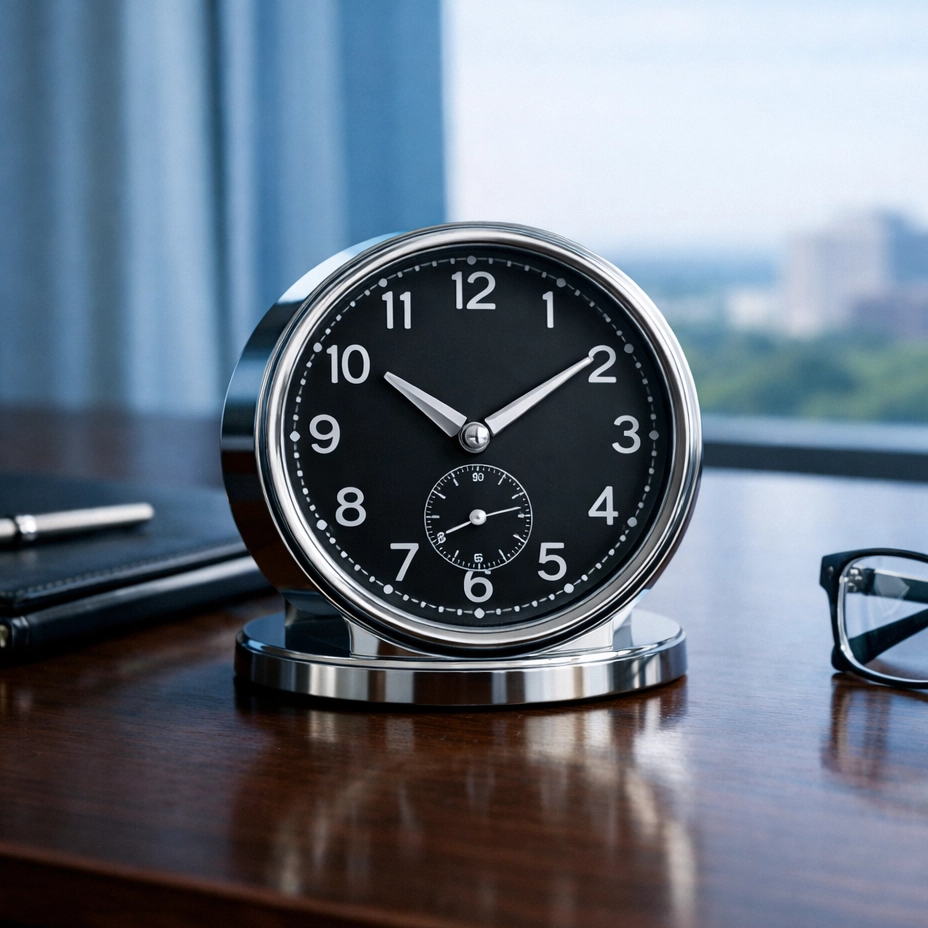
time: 10:09
